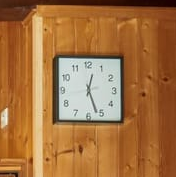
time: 12:26
